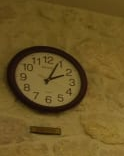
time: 2:04
